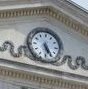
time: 5:24
